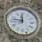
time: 11:46
